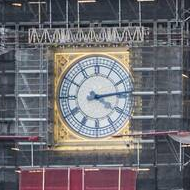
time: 4:13
